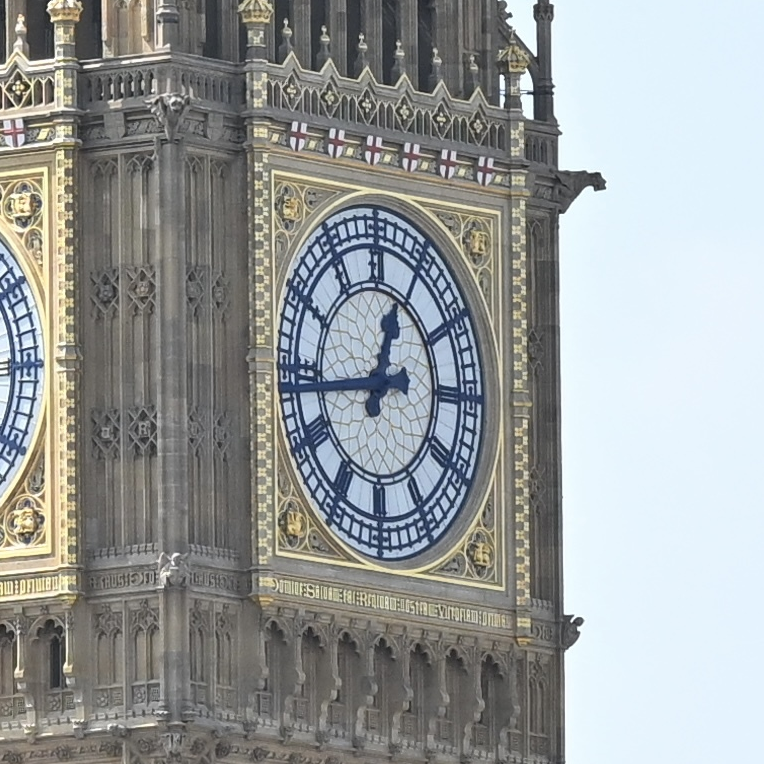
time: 12:43
